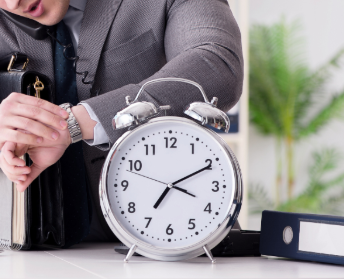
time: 7:10
